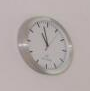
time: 10:57
